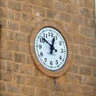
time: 12:51
